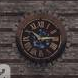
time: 10:14
